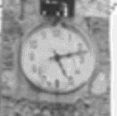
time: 2:25
